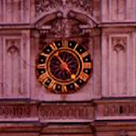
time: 10:23
